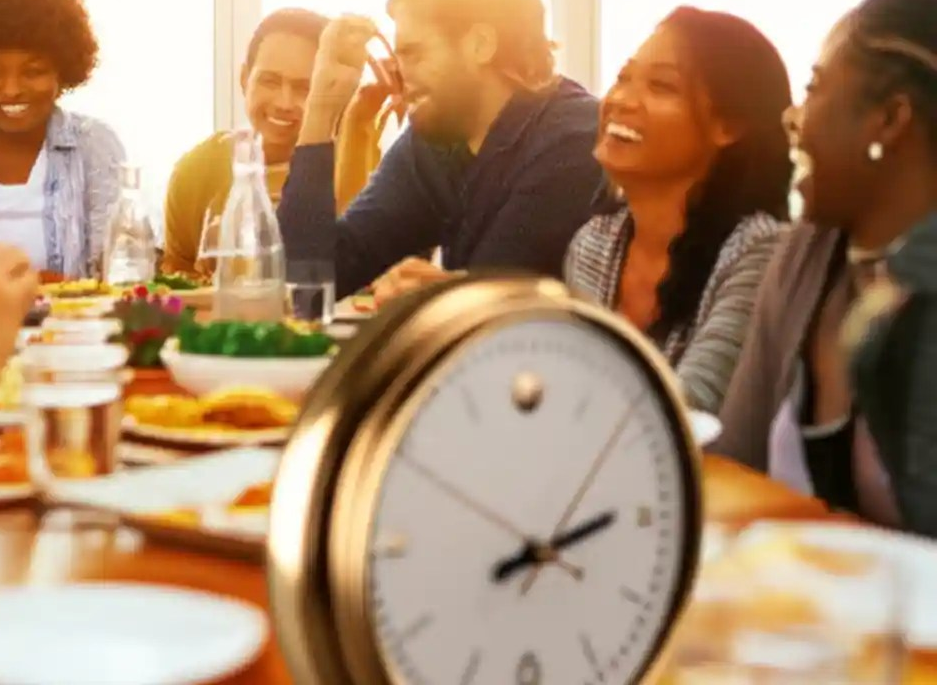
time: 2:13
